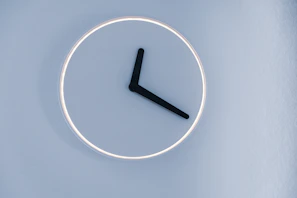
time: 12:20
